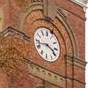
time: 3:42
